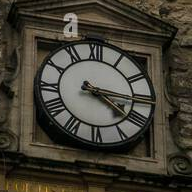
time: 4:16
